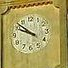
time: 9:51
